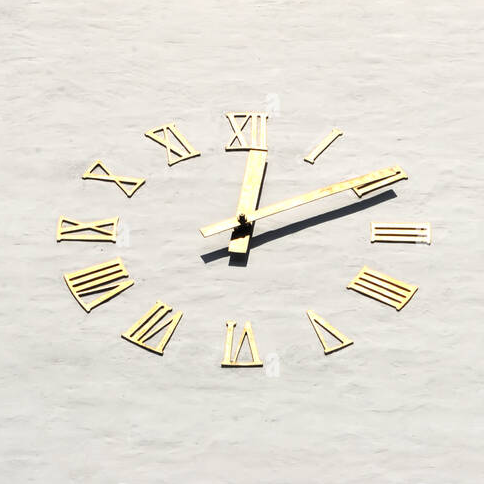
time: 12:11
